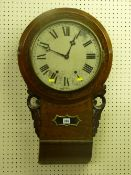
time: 12:48
